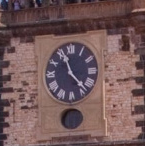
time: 11:22
